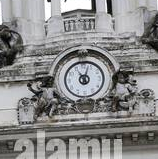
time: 11:03
